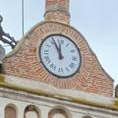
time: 11:55
